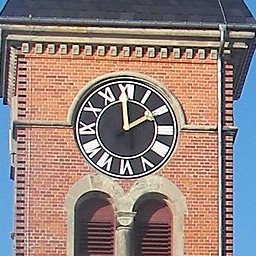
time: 1:59
